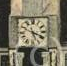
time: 5:18
